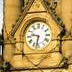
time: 9:32
